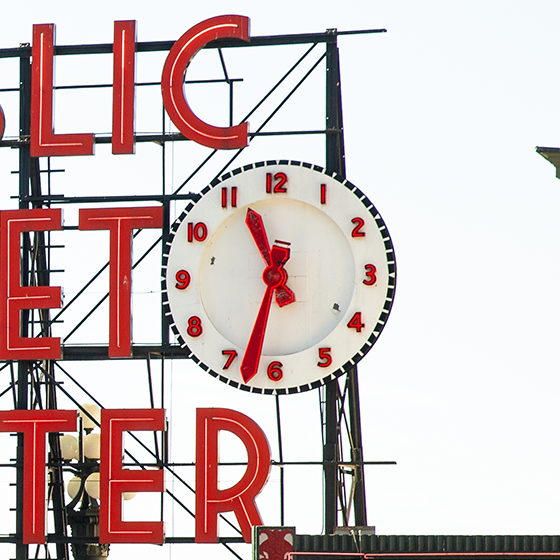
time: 11:33
